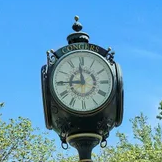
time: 11:45
